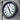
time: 11:25
